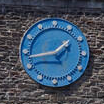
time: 1:43
